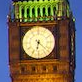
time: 6:21
